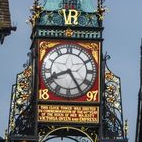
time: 8:24
